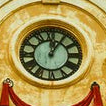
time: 12:05
